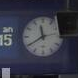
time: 11:39
